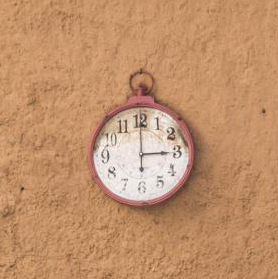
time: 3:00
